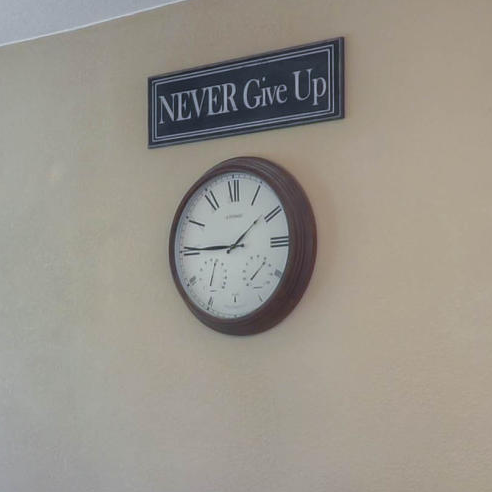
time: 1:45
